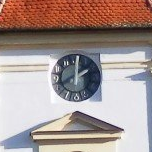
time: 2:00
